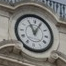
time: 11:04
